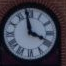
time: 3:58
